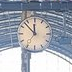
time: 11:53
